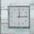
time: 12:14
